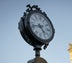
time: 4:42
